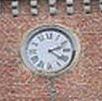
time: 2:21
